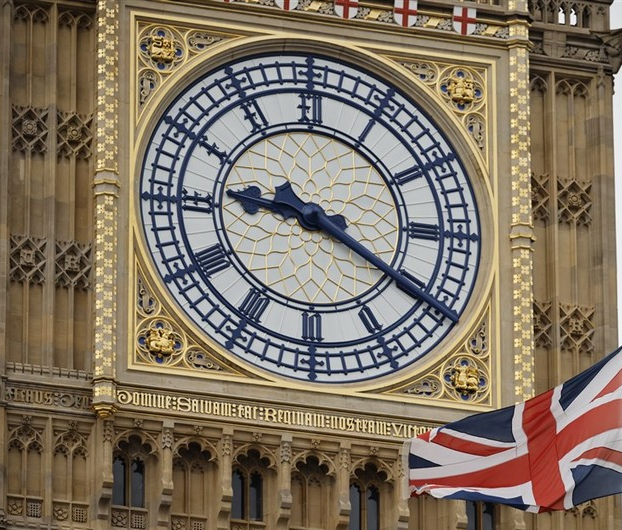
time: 9:20
